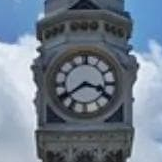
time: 3:39
